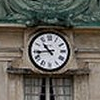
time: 10:43
